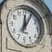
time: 12:05
